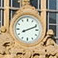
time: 8:11
